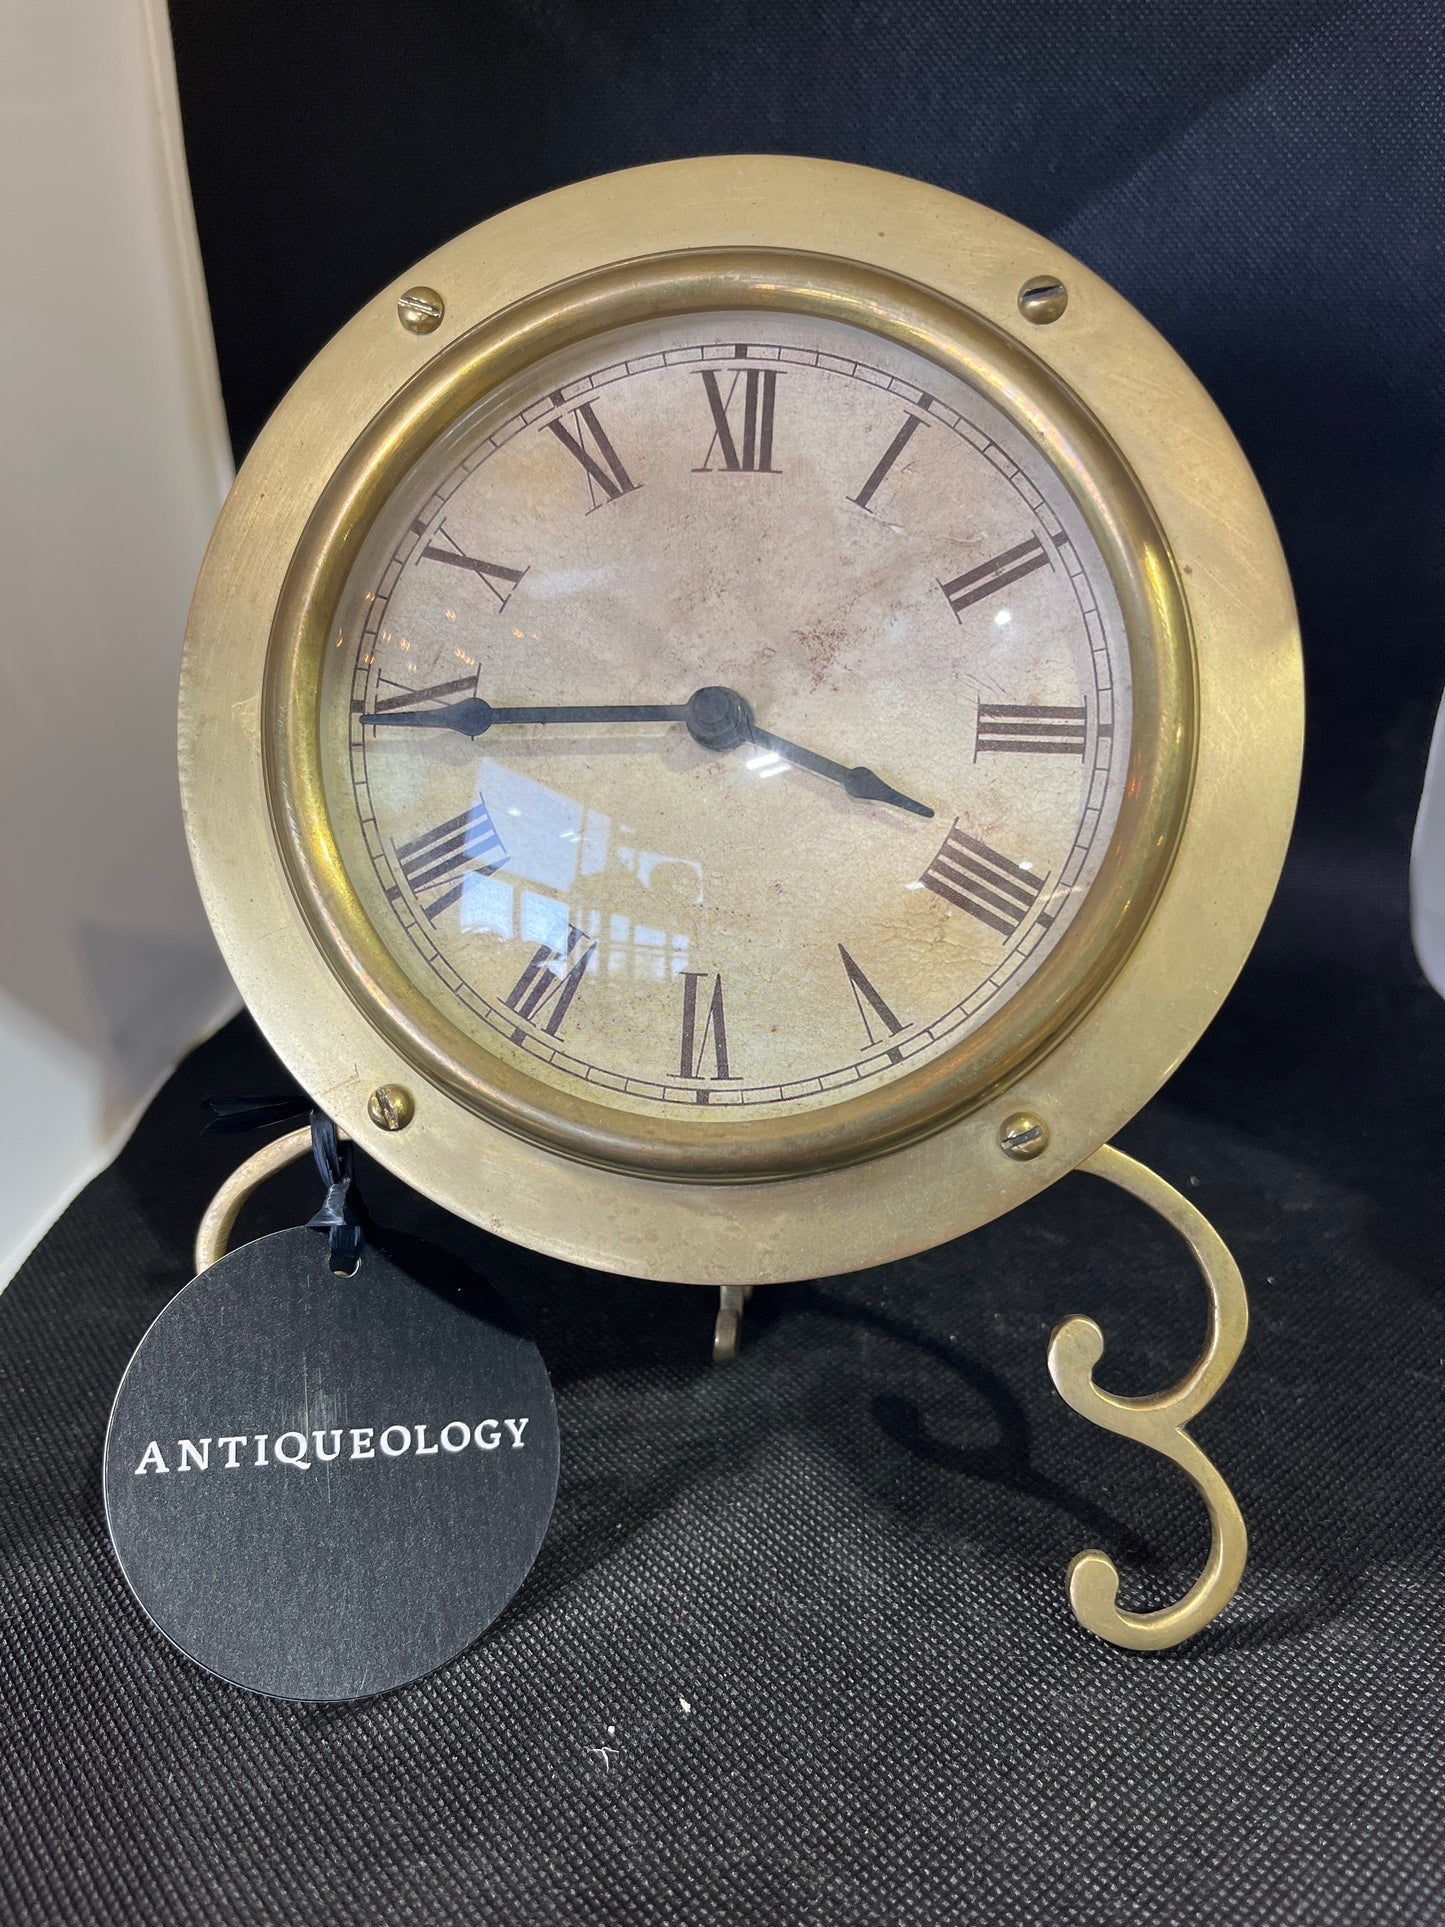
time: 3:44
